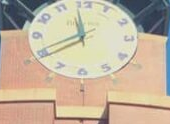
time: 11:40
